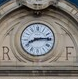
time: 8:14
